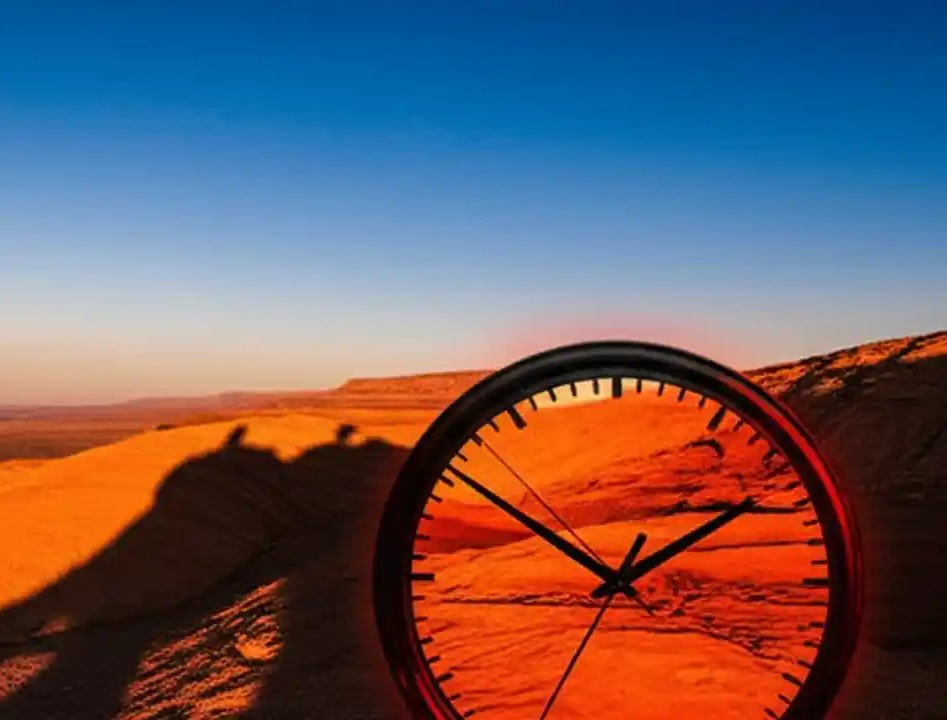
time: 1:50
